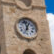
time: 12:57
